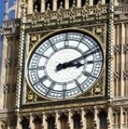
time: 3:11
